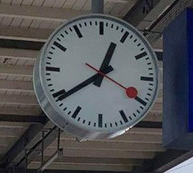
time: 12:39
